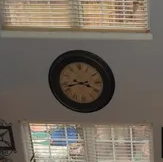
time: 3:42
